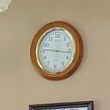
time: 9:16
